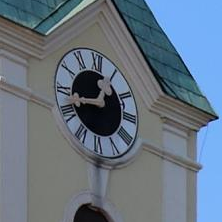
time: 12:42
